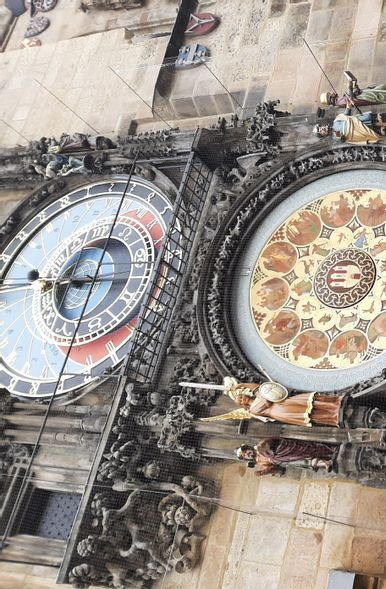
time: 9:01
